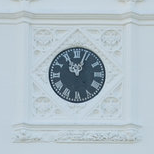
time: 11:03
